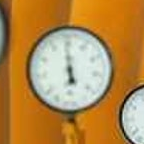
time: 5:59
